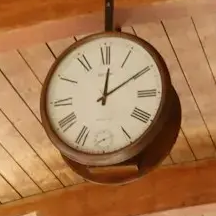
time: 12:09
